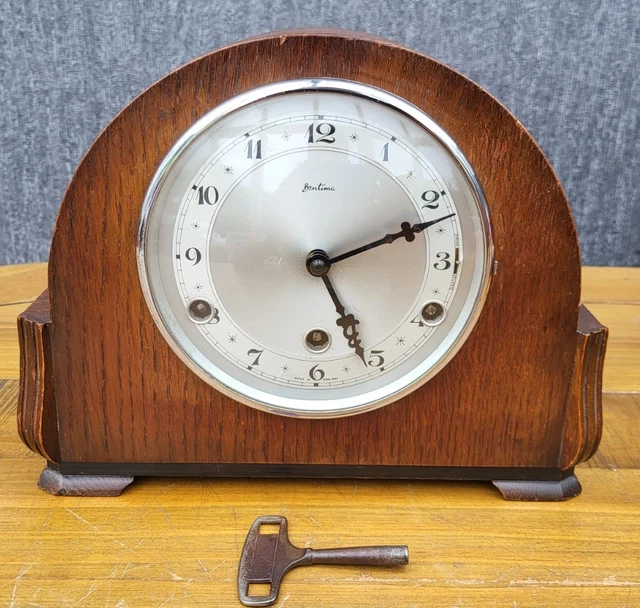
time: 5:11
